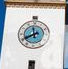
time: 11:40
